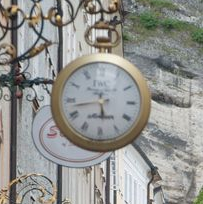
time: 5:42
